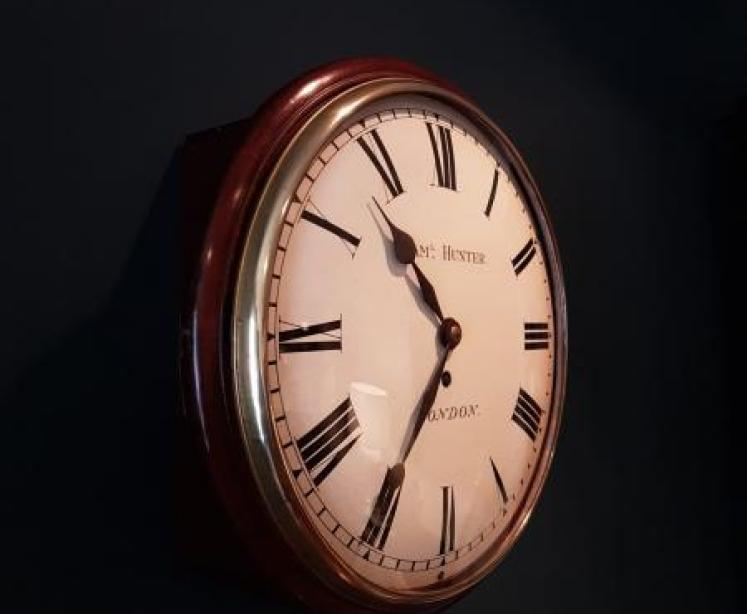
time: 10:35
